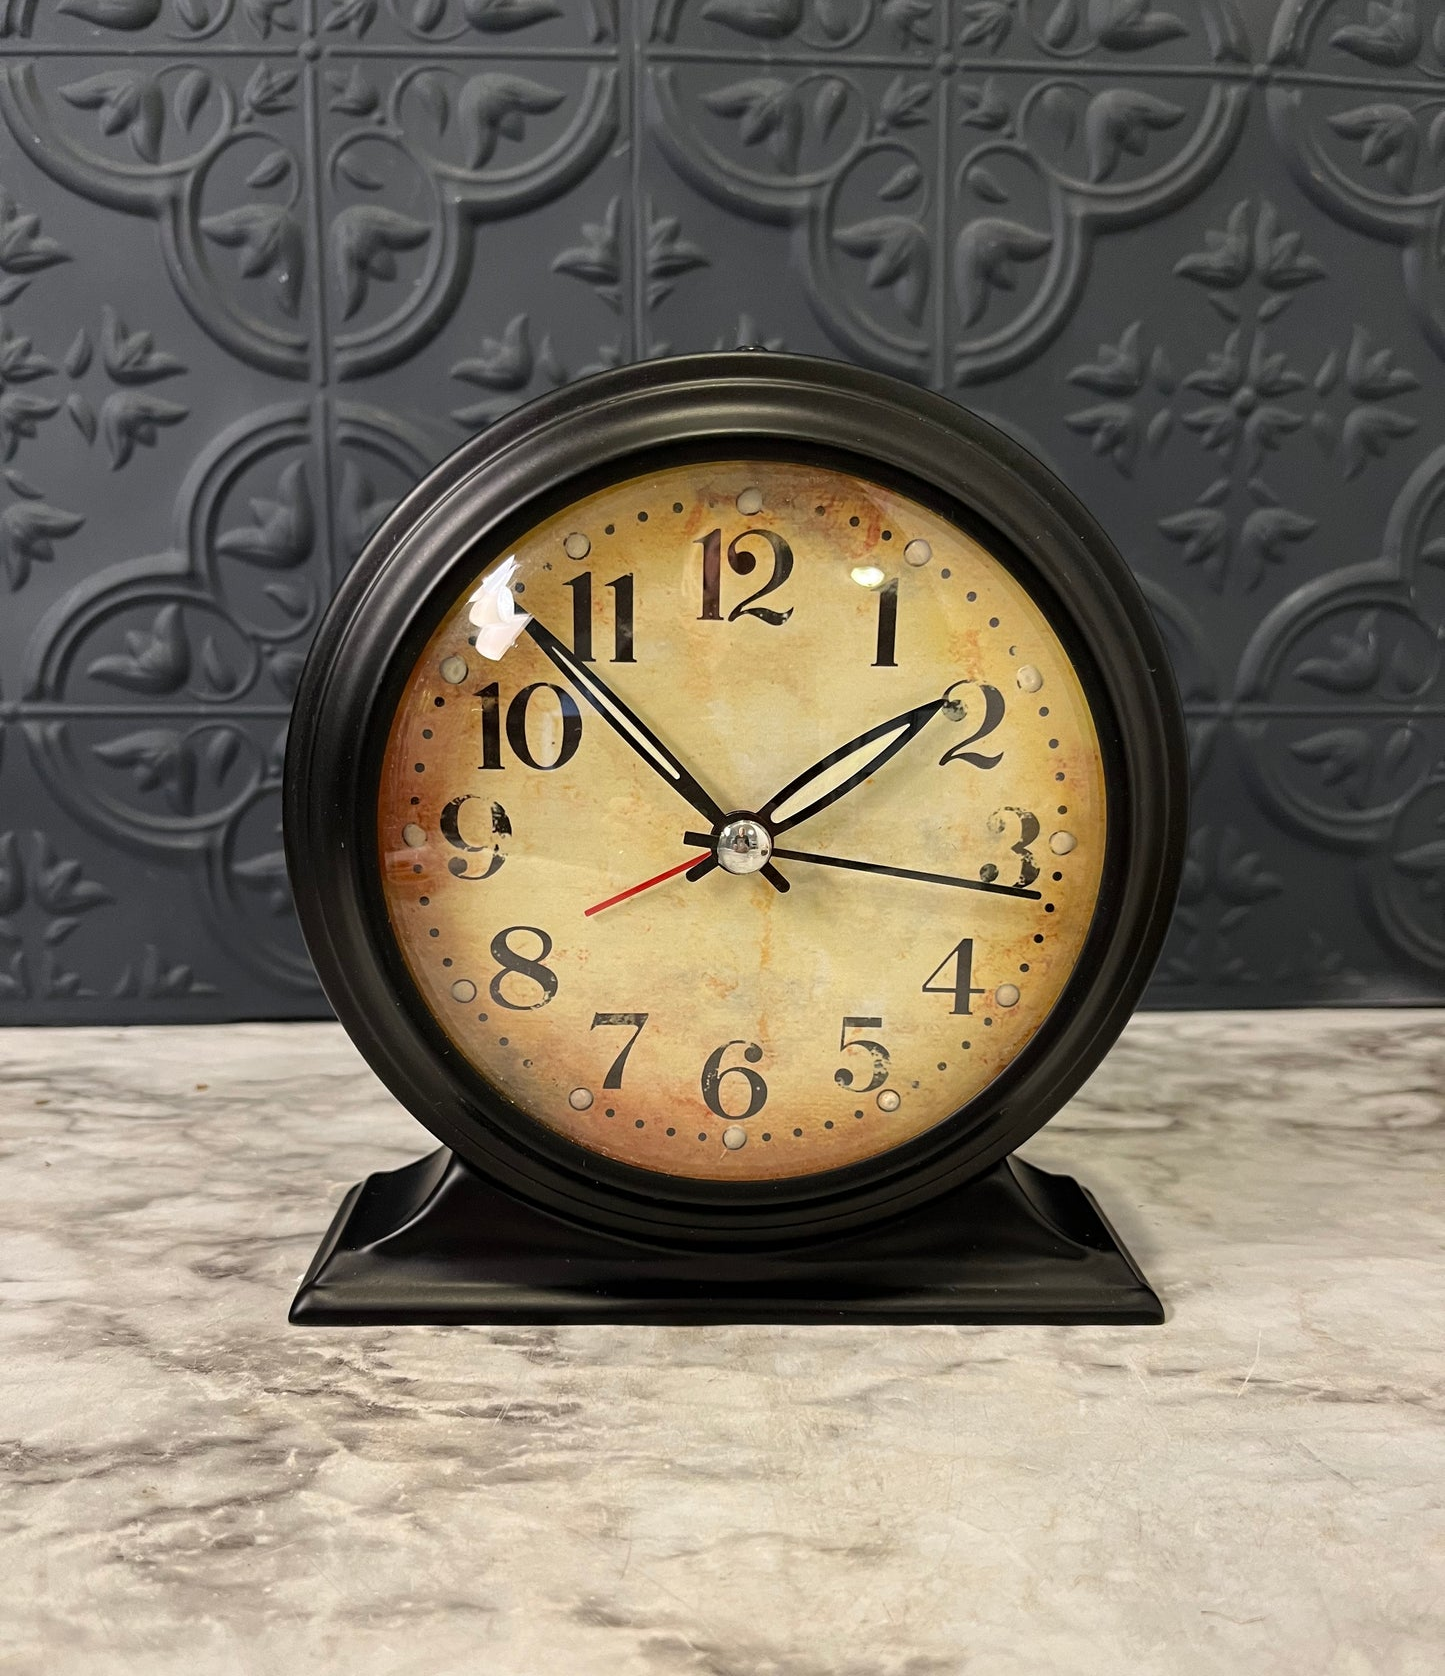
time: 1:52
